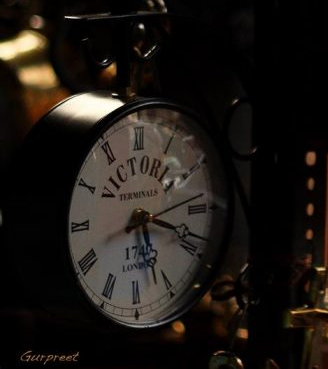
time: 5:18
